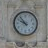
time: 9:53
